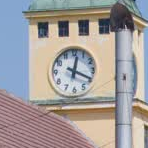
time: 12:19
